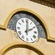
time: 2:00
